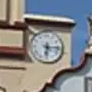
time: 6:15
